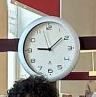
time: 9:08
